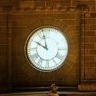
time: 9:57
